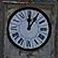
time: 12:05
